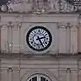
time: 2:25
